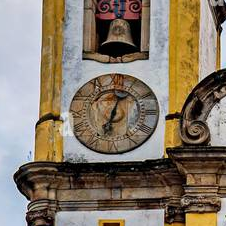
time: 12:32
